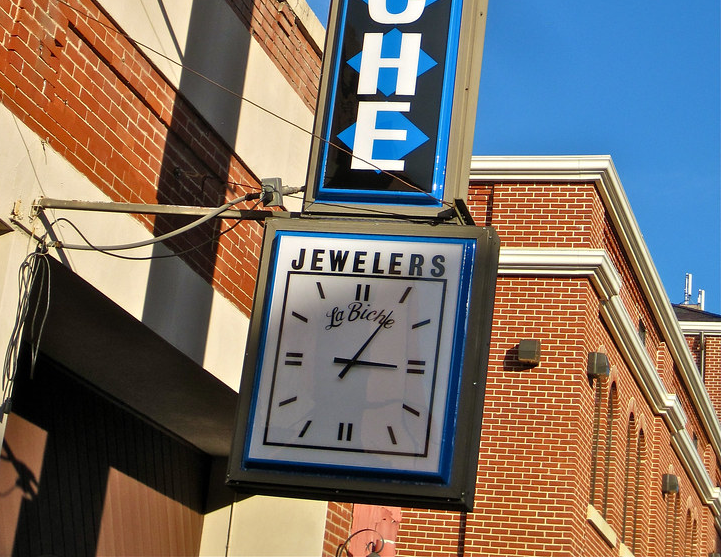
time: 1:15
